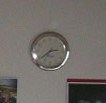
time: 2:38
